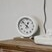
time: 12:52
